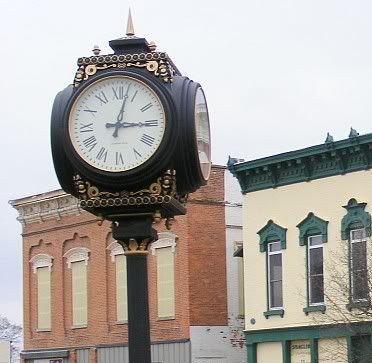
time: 3:02
